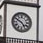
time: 4:49
